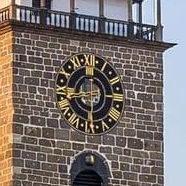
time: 8:30
